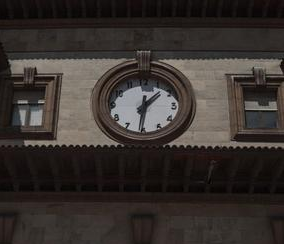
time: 1:30
